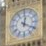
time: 12:19
